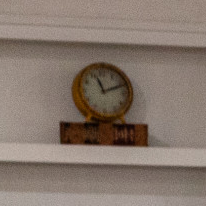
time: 11:11
